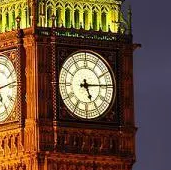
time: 5:14
